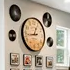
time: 12:43
